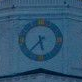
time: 5:36
